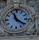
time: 11:21
